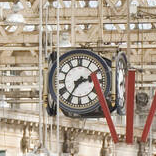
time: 2:35
